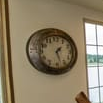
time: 1:27
